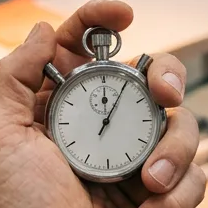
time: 12:05
